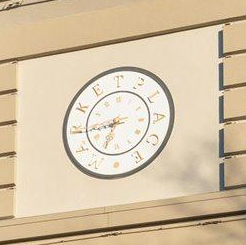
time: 6:43
